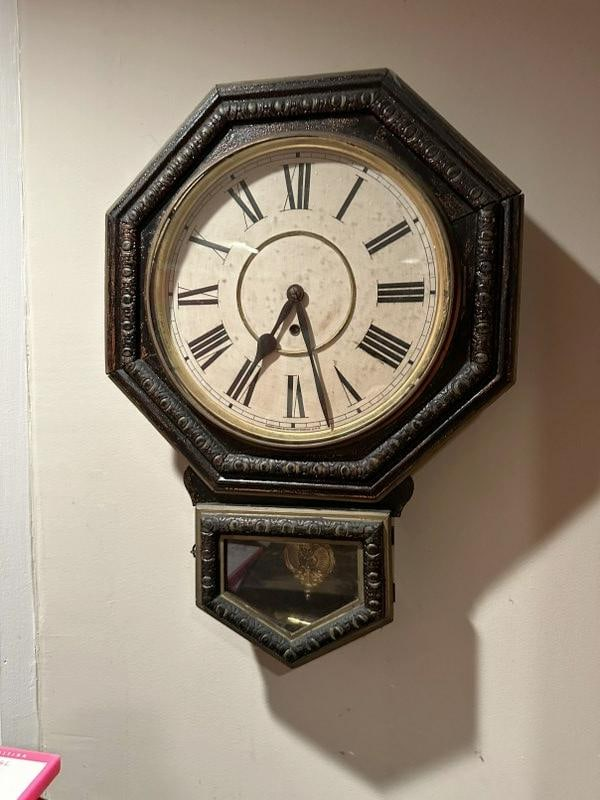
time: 5:35
